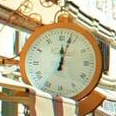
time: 12:03
